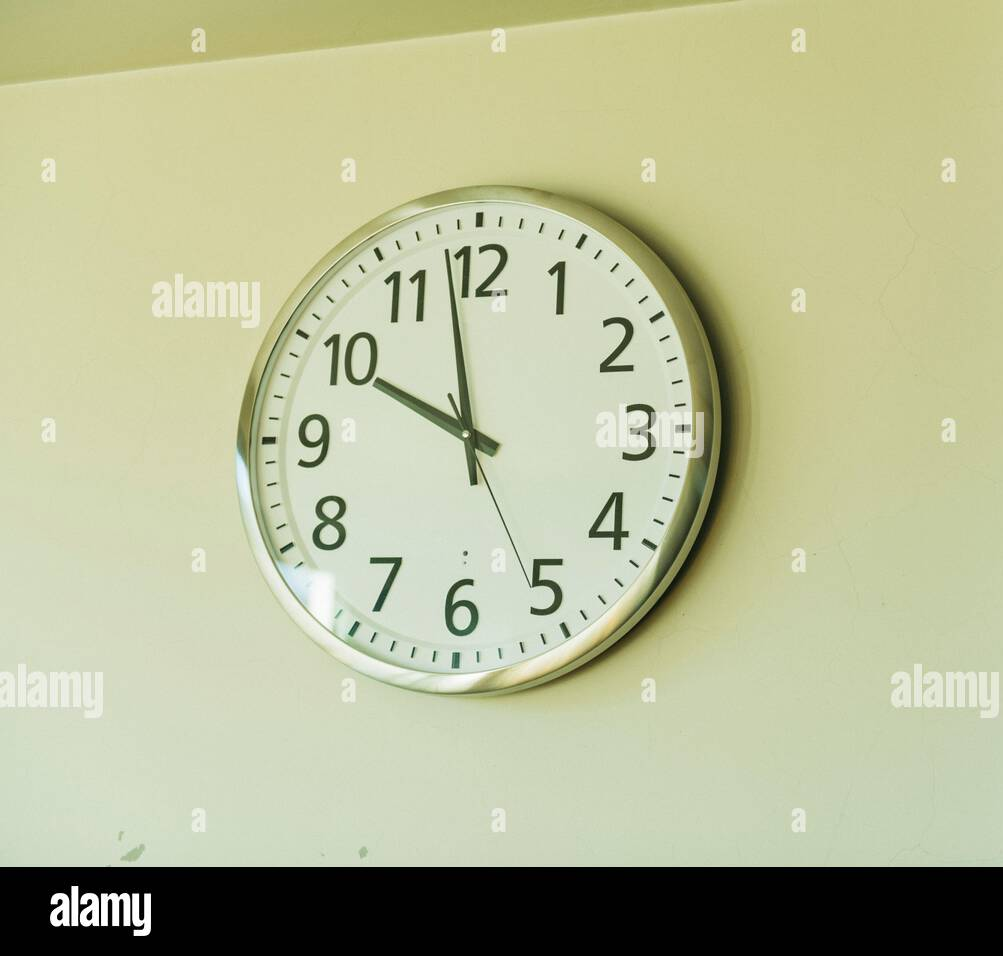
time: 9:58
